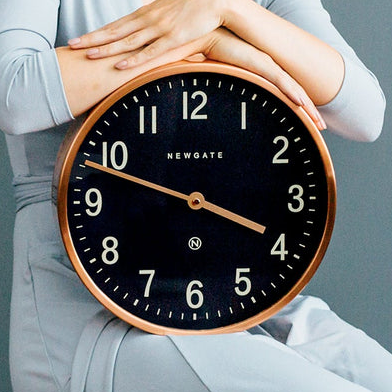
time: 3:48
